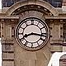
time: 8:16
